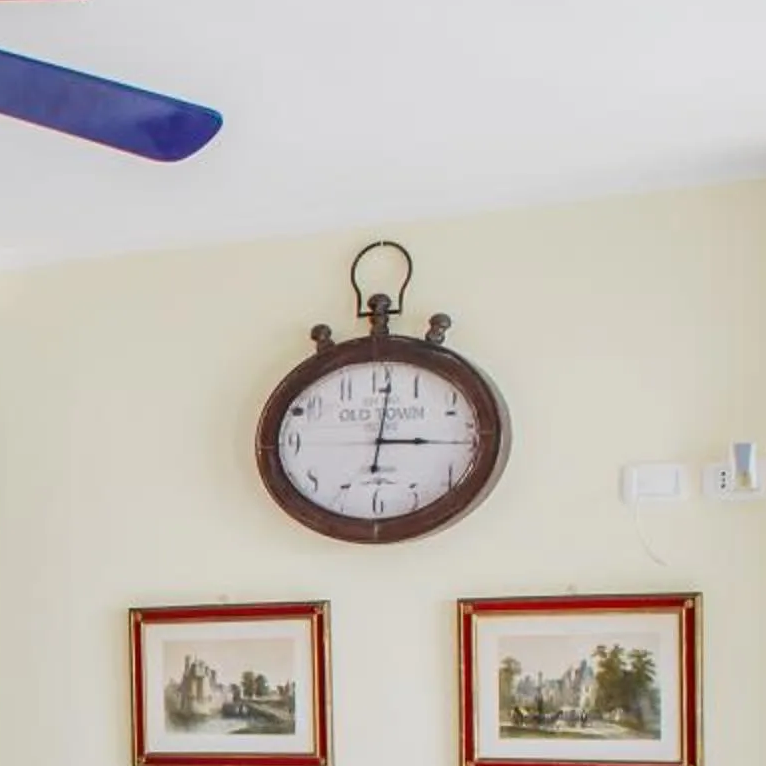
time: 3:01
